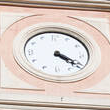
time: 4:20
